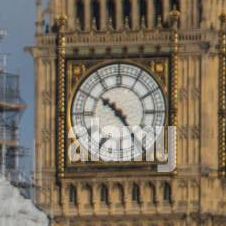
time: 10:23
